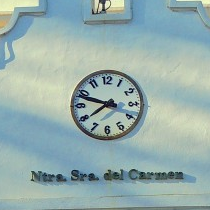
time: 7:48
